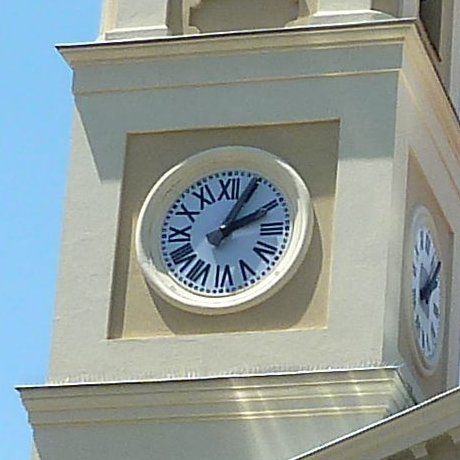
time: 2:04
